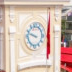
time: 9:48
